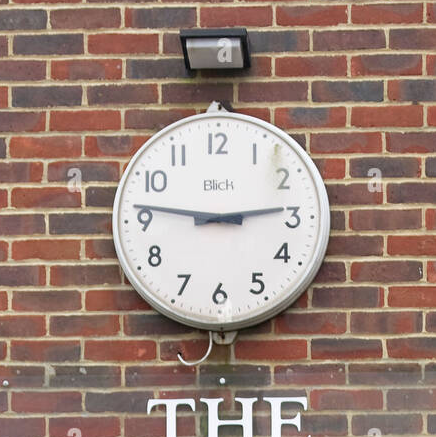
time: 2:46
